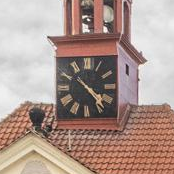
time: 4:22
